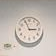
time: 2:56
